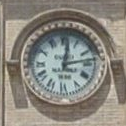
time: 12:13
